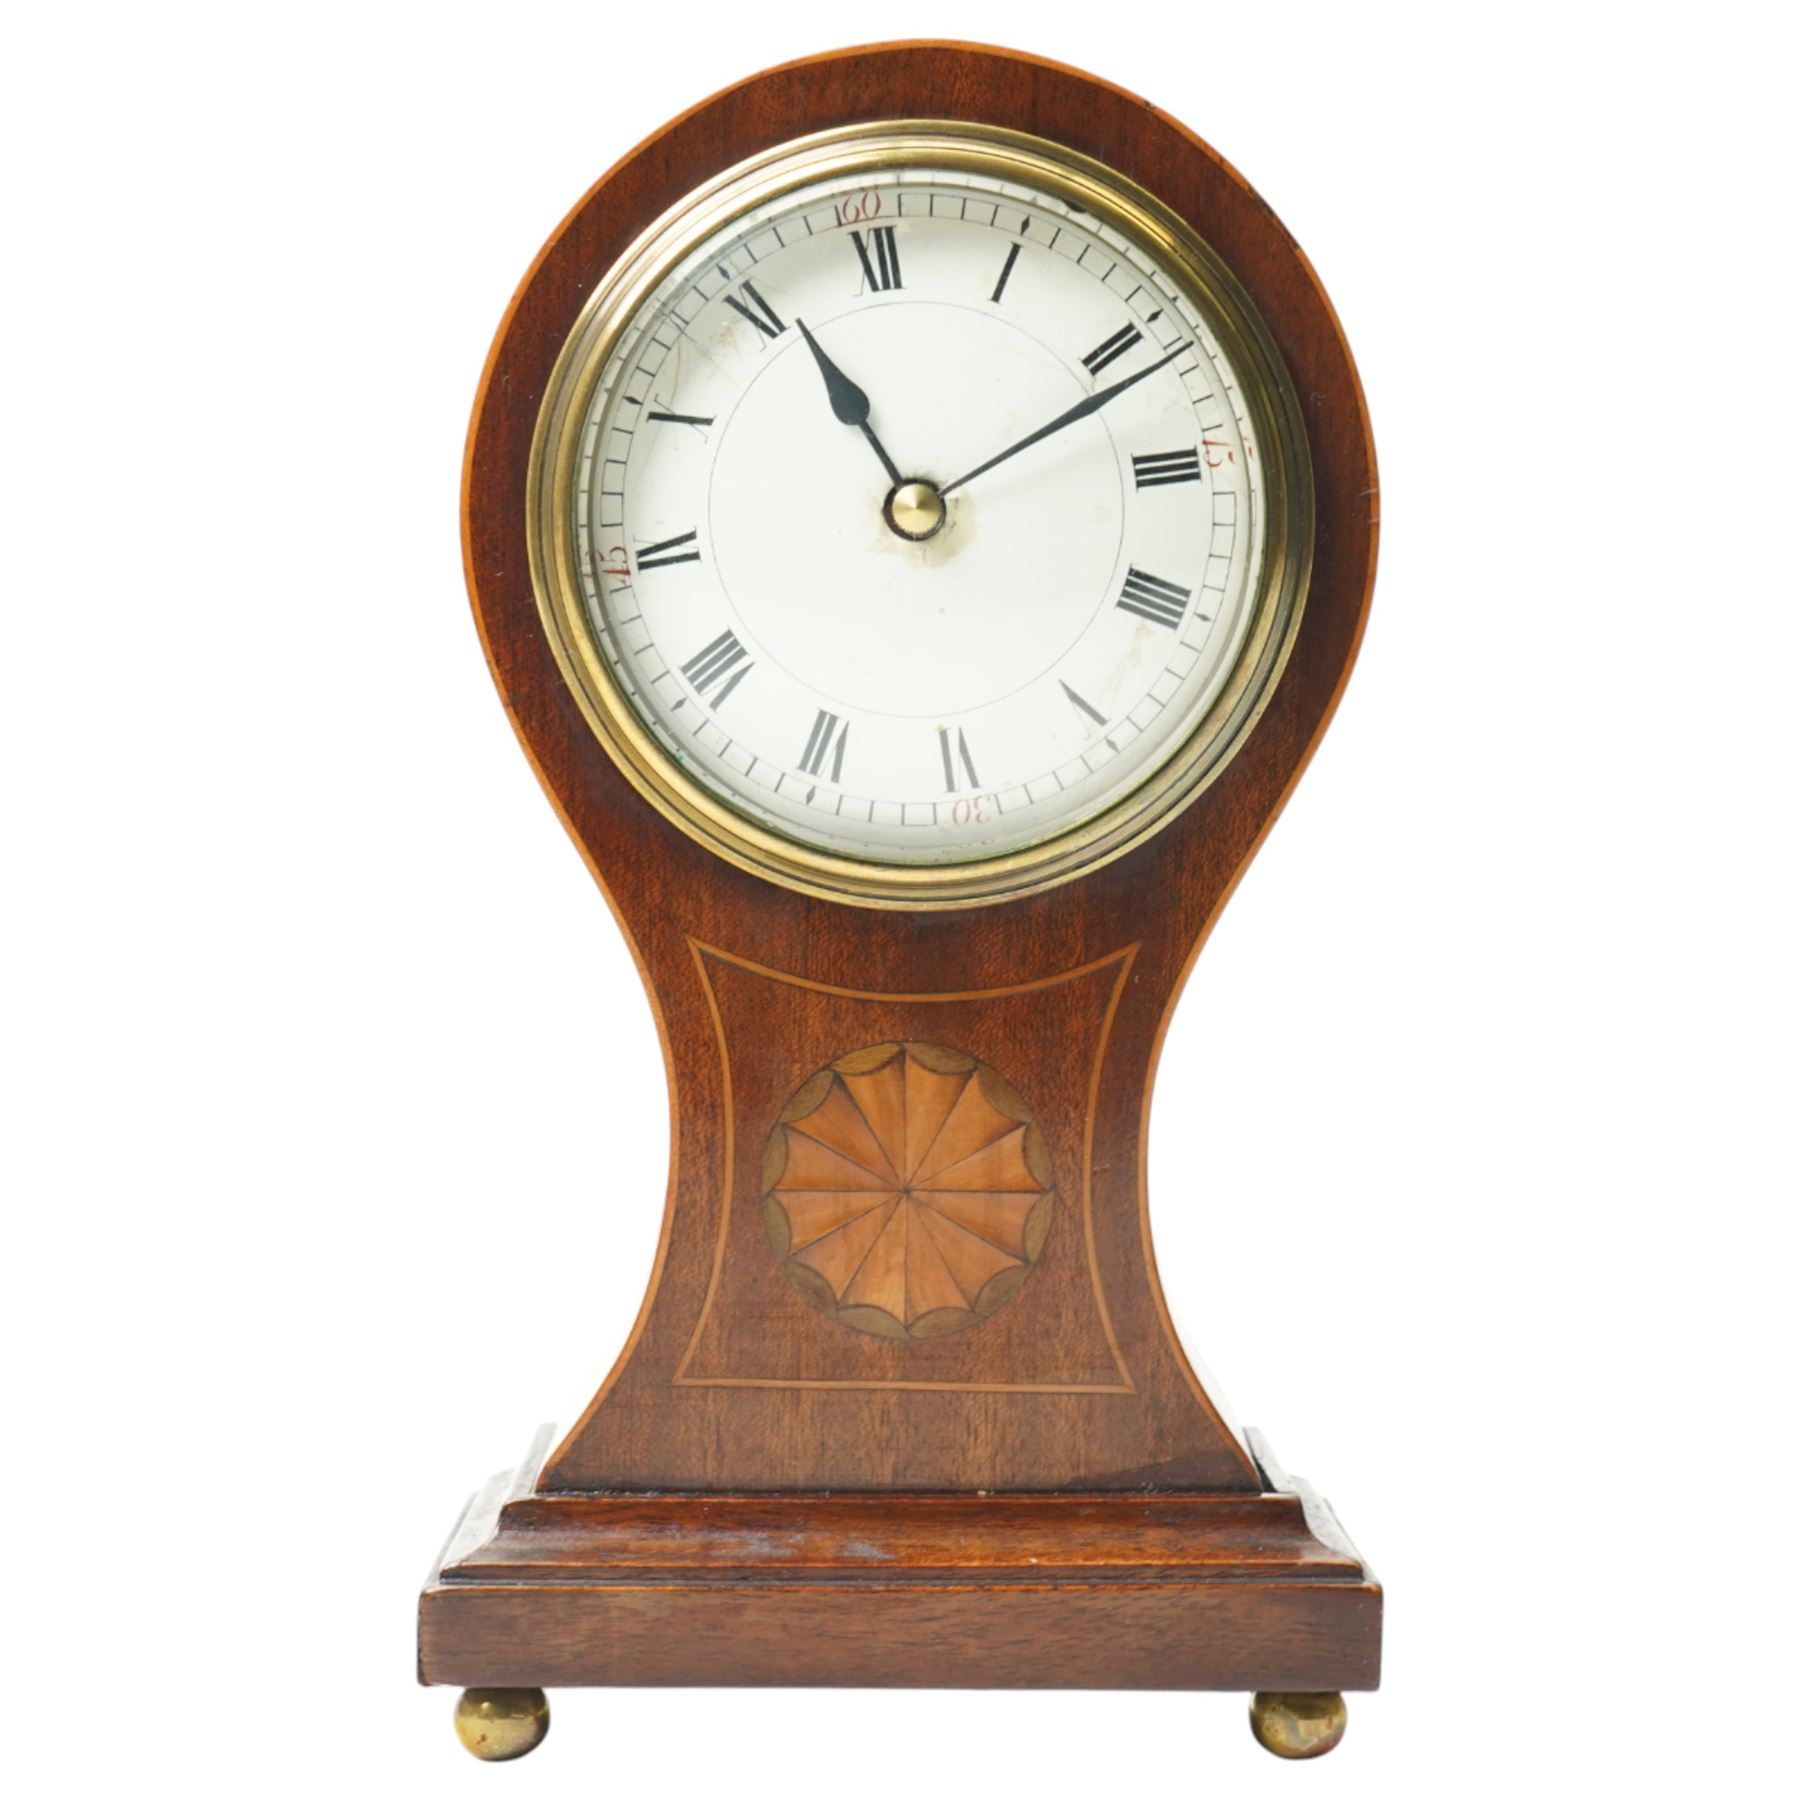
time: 11:11
